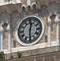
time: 12:29
